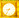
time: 8:36
